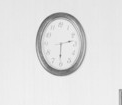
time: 6:13
